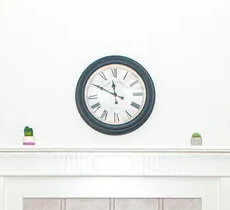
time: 11:49
